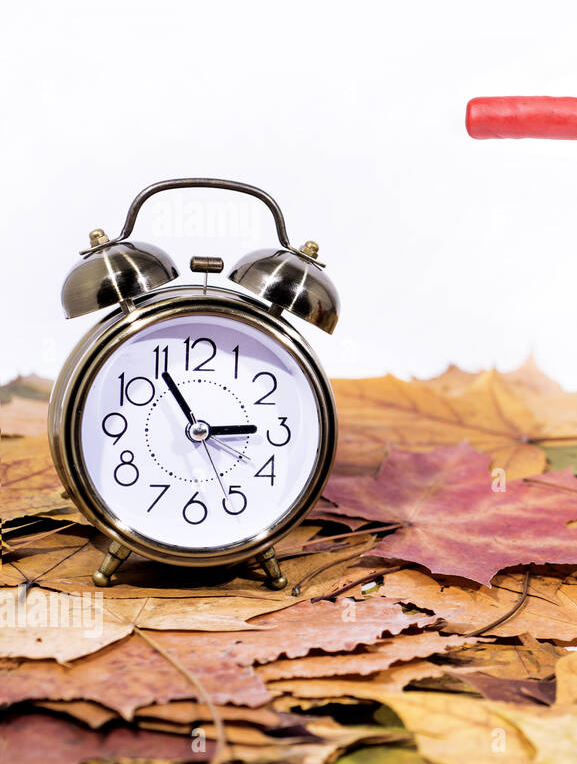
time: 2:54
